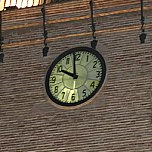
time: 9:58
